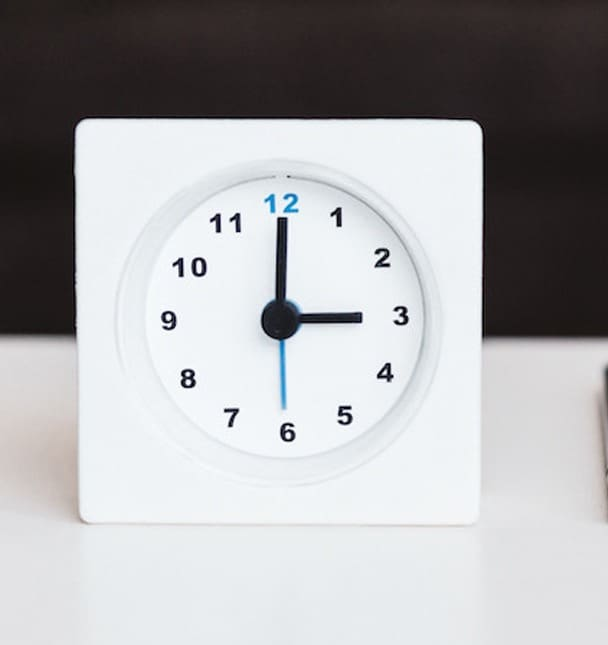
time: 3:00
